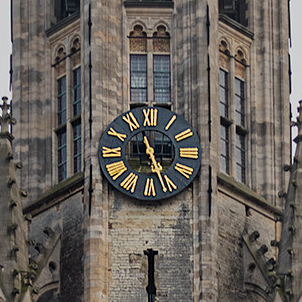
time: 11:26
